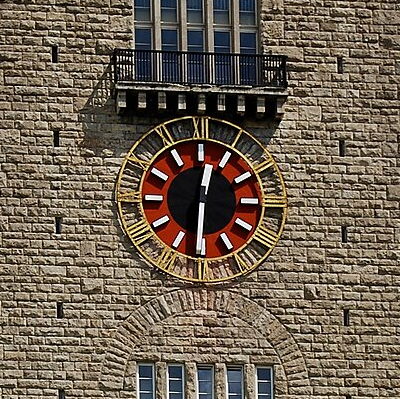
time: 12:30
